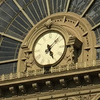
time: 5:07
